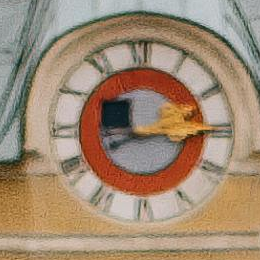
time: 8:14
